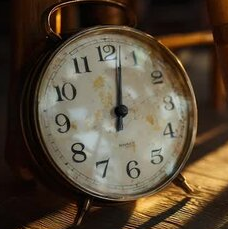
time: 12:02
